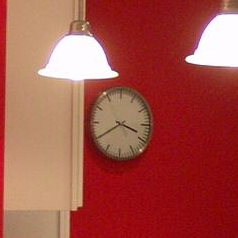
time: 3:40
